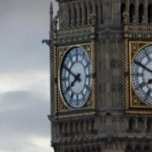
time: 7:49
